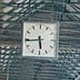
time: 5:44
